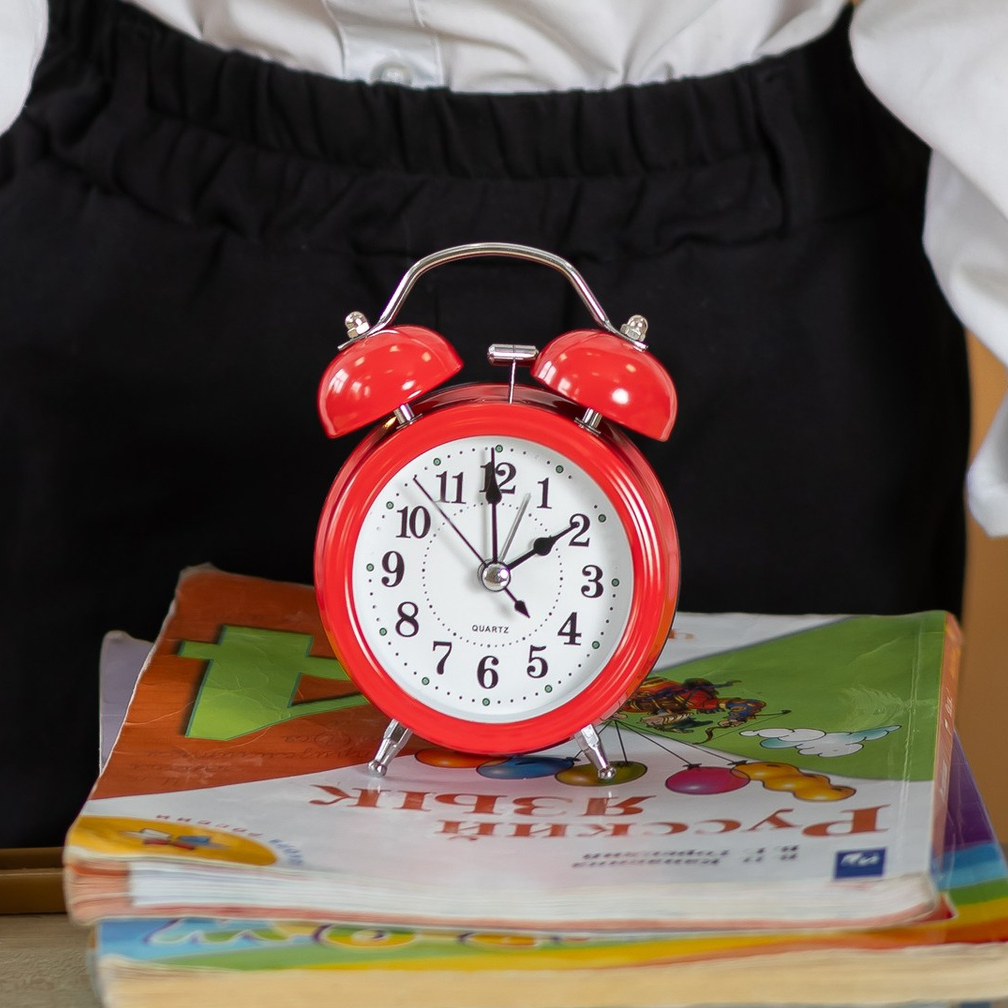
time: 1:59
